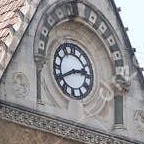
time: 2:40
